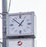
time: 12:52
